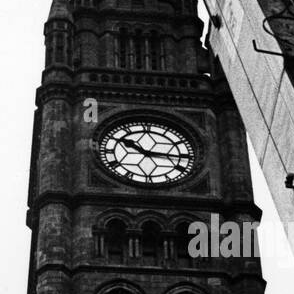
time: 10:15
